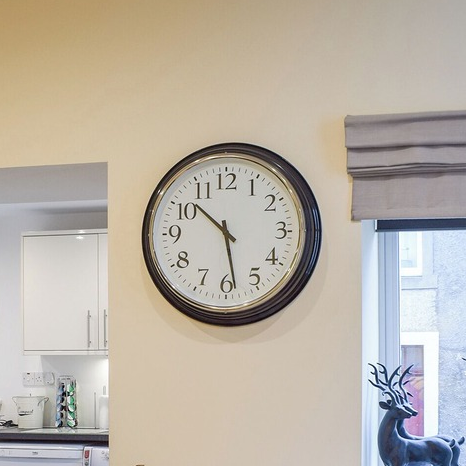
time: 10:28
